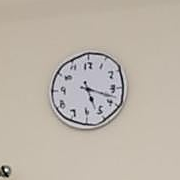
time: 5:18
